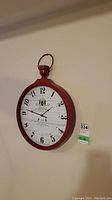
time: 1:46
